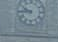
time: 9:45
